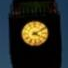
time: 4:10
